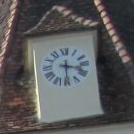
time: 3:29
